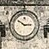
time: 2:50
